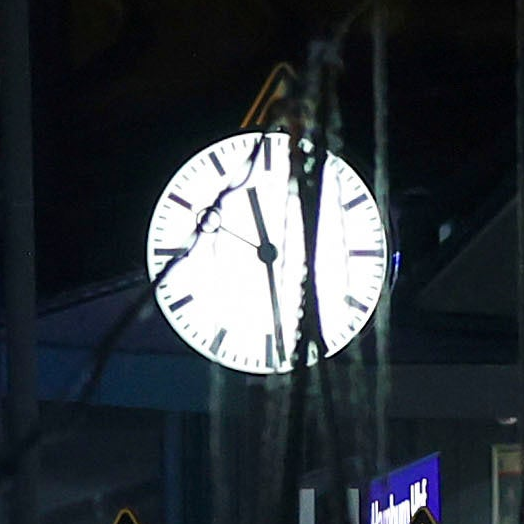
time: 11:28
